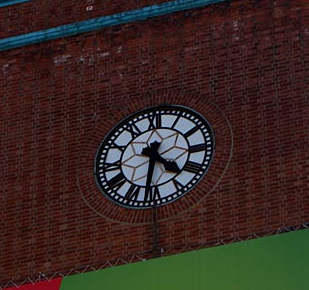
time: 4:31
